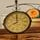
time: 7:59
